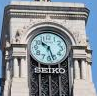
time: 10:27
